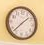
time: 1:37
